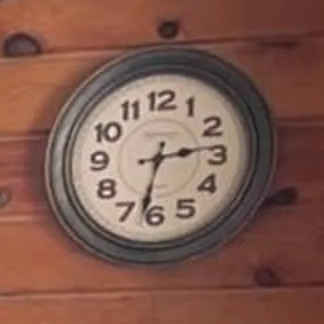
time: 2:32
